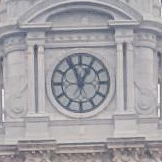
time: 12:56
